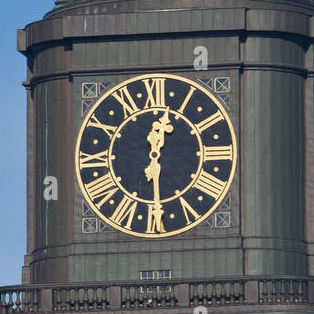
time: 12:29
